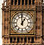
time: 12:59
